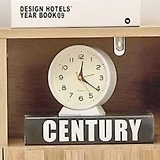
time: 12:20
